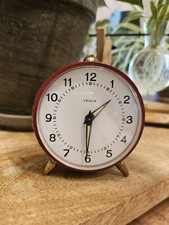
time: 1:30
